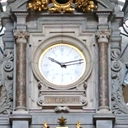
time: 10:12
